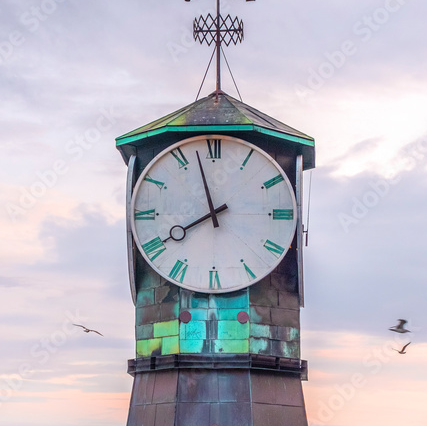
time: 7:57
